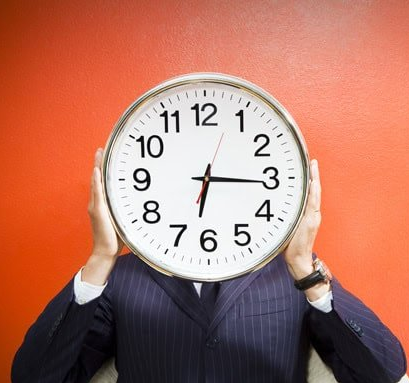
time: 6:15
